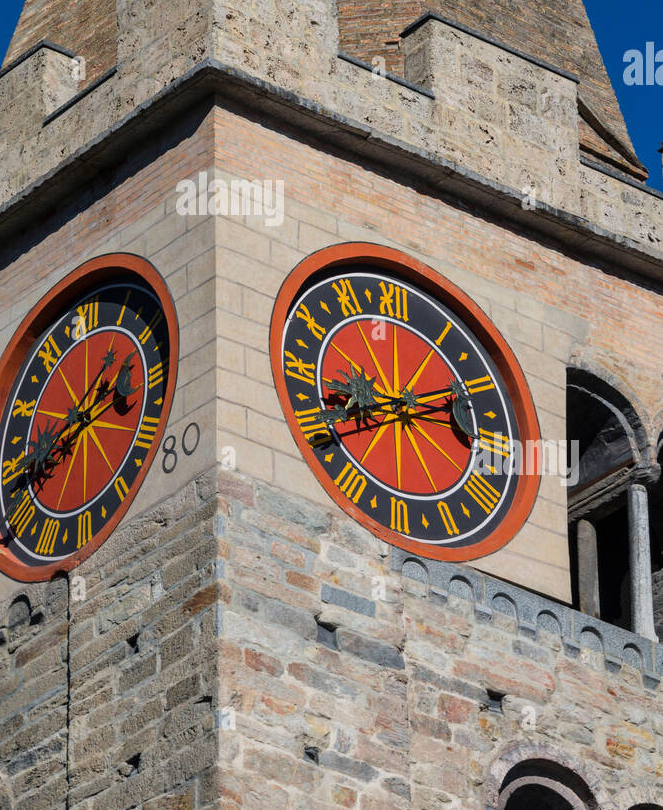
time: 2:42
